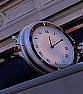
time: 12:10
